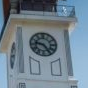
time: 9:23
